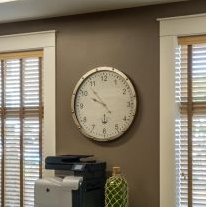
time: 9:53
